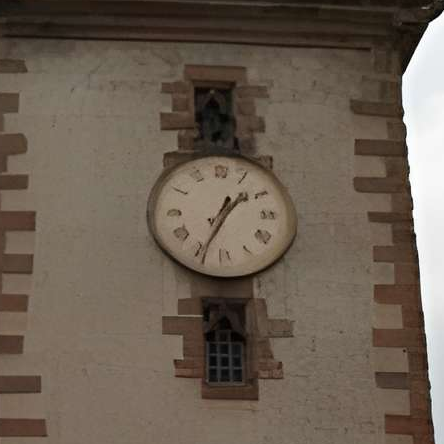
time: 1:34
